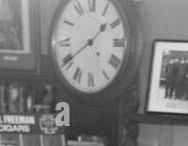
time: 1:39
